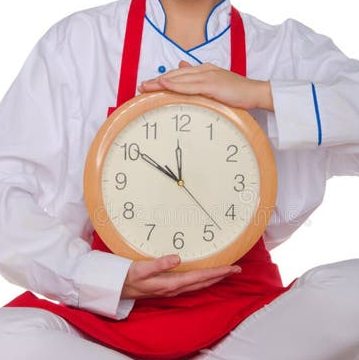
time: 11:50
